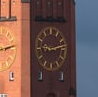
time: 9:12
